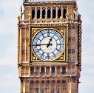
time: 12:45
